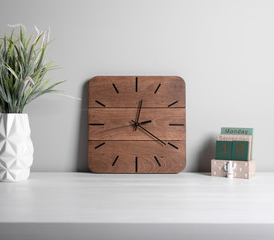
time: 12:20
